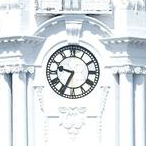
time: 9:34
